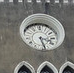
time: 3:27
